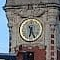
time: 6:25
